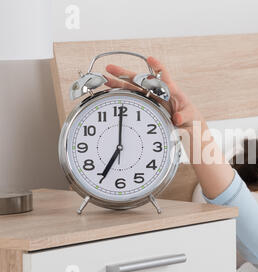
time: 7:00
